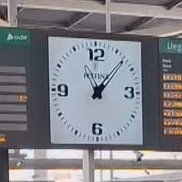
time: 11:07
